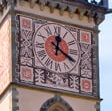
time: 12:19
